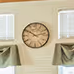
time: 10:12
